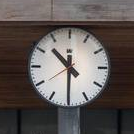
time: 10:30
